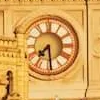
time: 7:29
